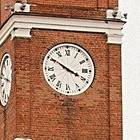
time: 3:50
